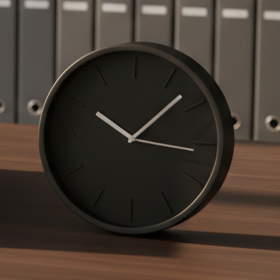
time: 10:07
